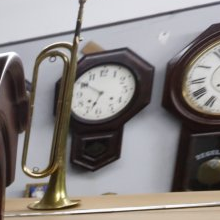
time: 6:50
